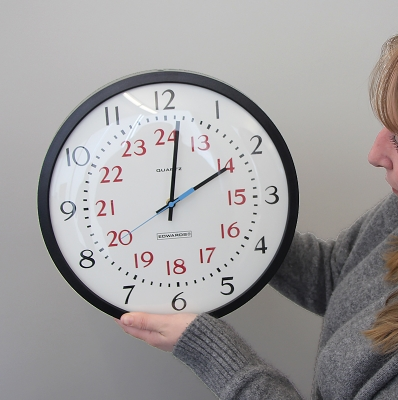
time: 2:01
